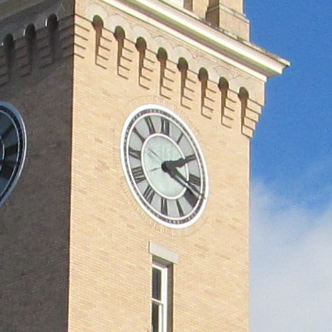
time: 2:18
